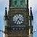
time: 4:35
